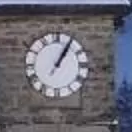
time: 1:05
